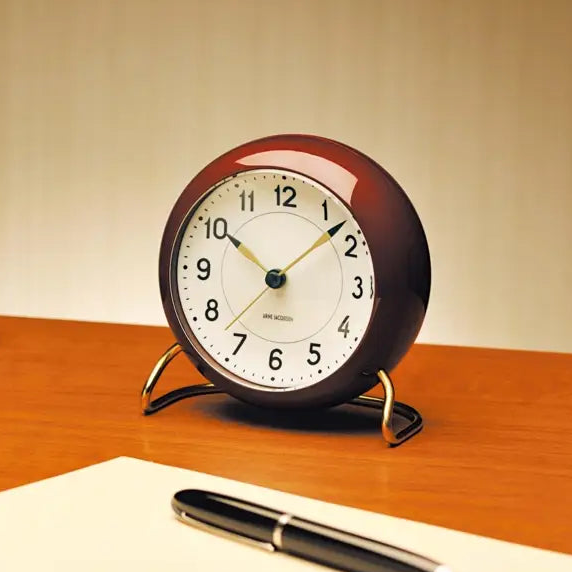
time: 10:07
